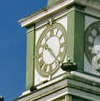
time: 10:22
